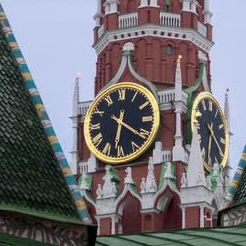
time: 6:21
